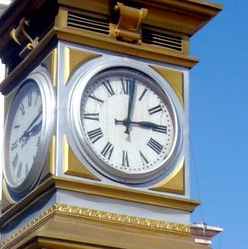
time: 3:01
